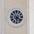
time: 6:21
